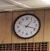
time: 1:18
